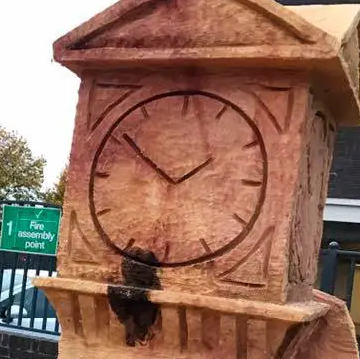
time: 1:51
